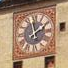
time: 1:59
